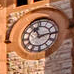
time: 11:13
